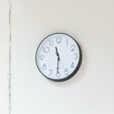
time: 11:30
